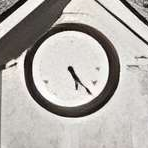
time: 5:23
